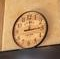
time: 12:13
